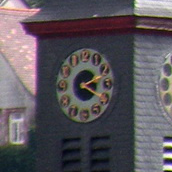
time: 2:19
